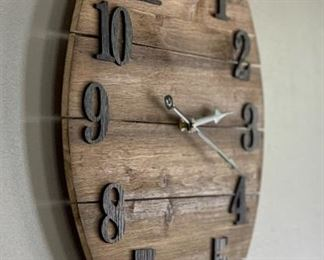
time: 2:45
